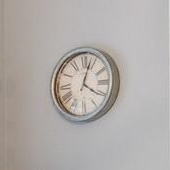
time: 4:03
